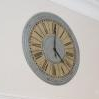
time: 4:00
